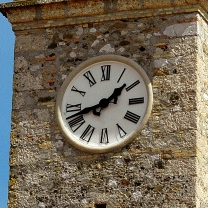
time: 1:42
